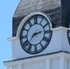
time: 2:37
